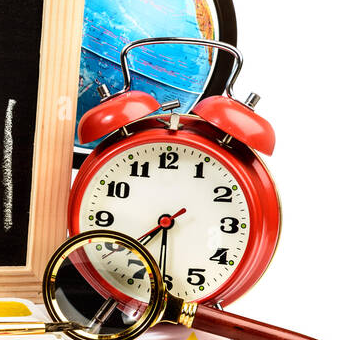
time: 7:30
